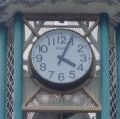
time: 4:04
